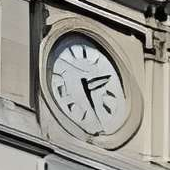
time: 5:10
